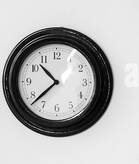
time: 10:37
